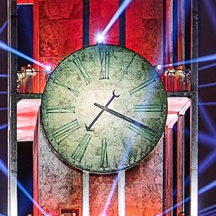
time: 7:18
